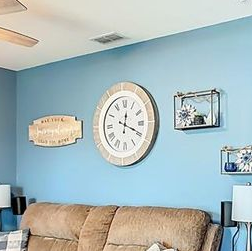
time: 12:19
